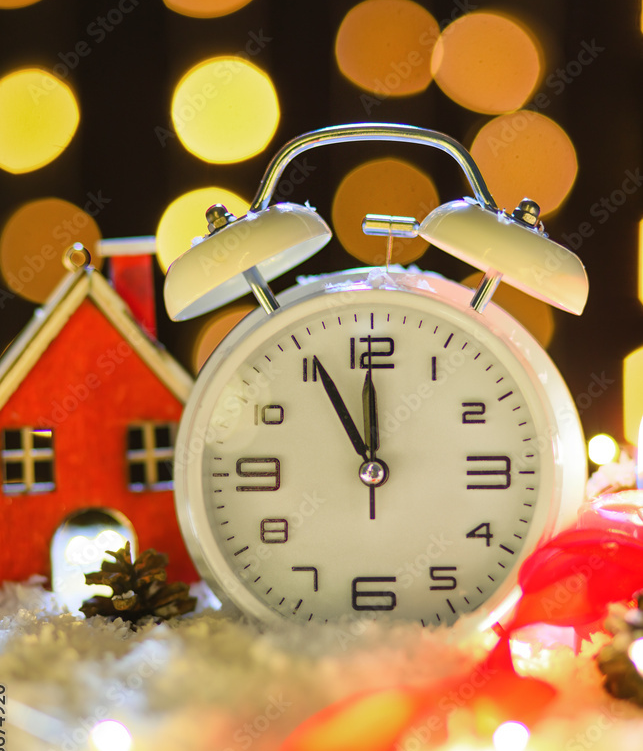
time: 11:55
